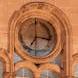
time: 7:15
